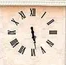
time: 5:28
